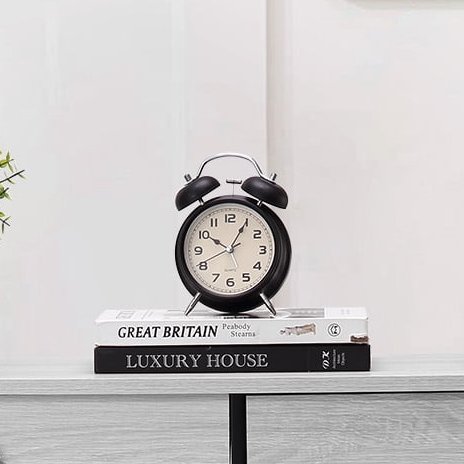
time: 10:05
